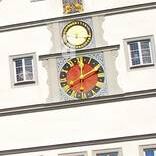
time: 12:09
